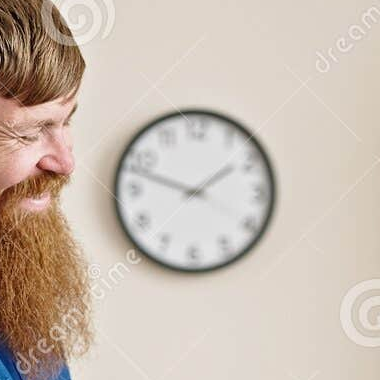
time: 1:47
